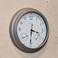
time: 3:31
